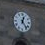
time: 12:23
